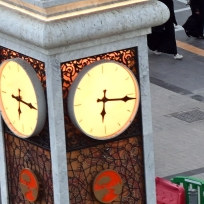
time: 6:16
